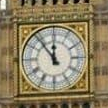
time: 11:53
